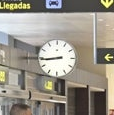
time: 8:44
